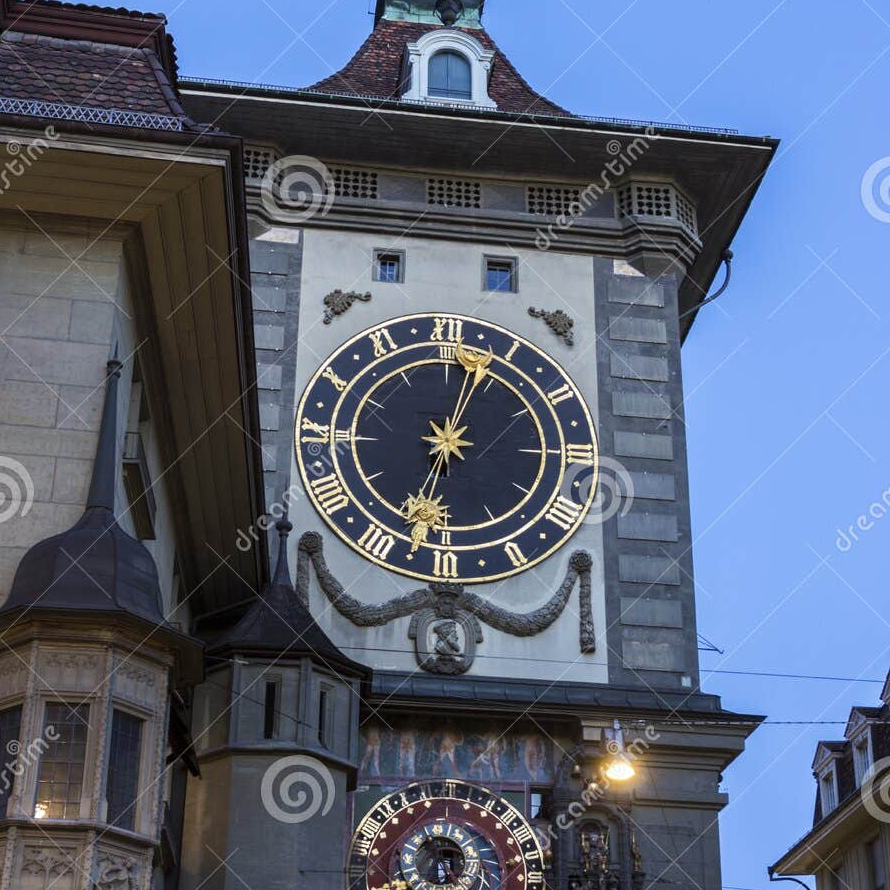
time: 12:32
